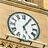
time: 5:05
